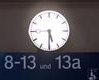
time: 5:30
